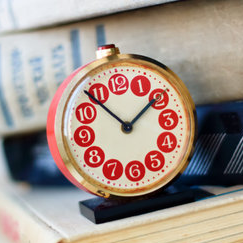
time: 1:53
